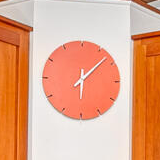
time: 6:07
